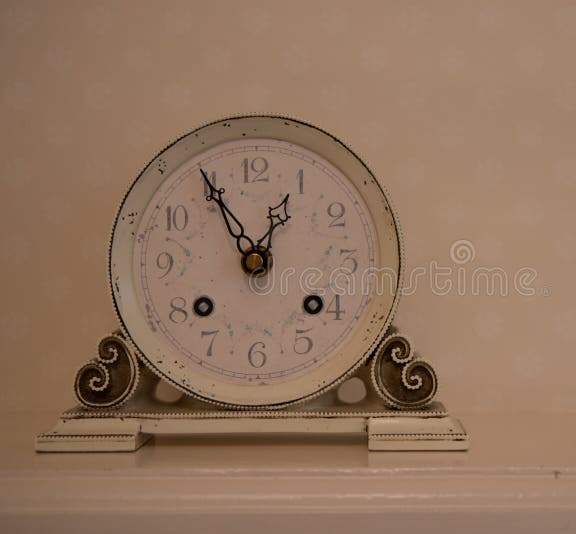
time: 12:55
